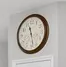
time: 11:28
